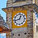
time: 12:42
